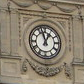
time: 12:57
